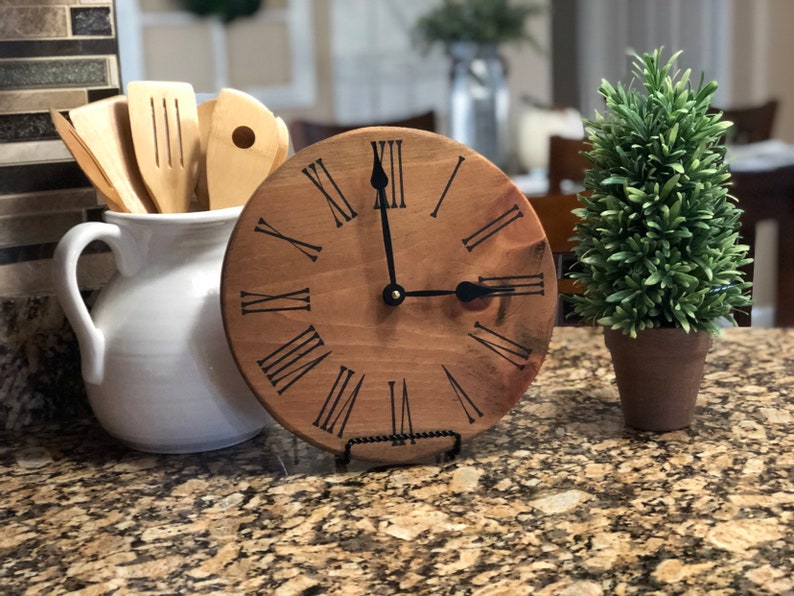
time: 2:59
